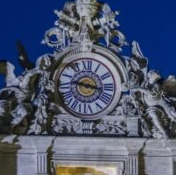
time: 9:17
